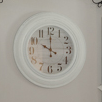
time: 10:00
